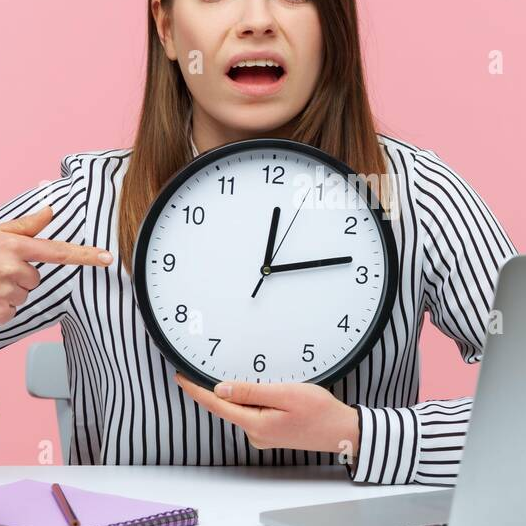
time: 12:13
